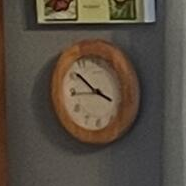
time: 3:51
